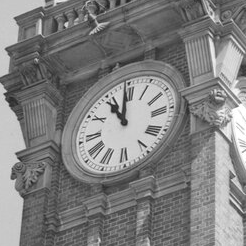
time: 10:59
